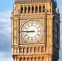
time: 8:45
